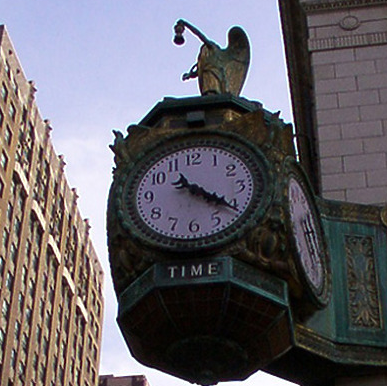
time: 4:20
